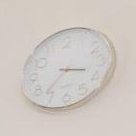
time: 3:37
